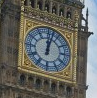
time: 12:02
